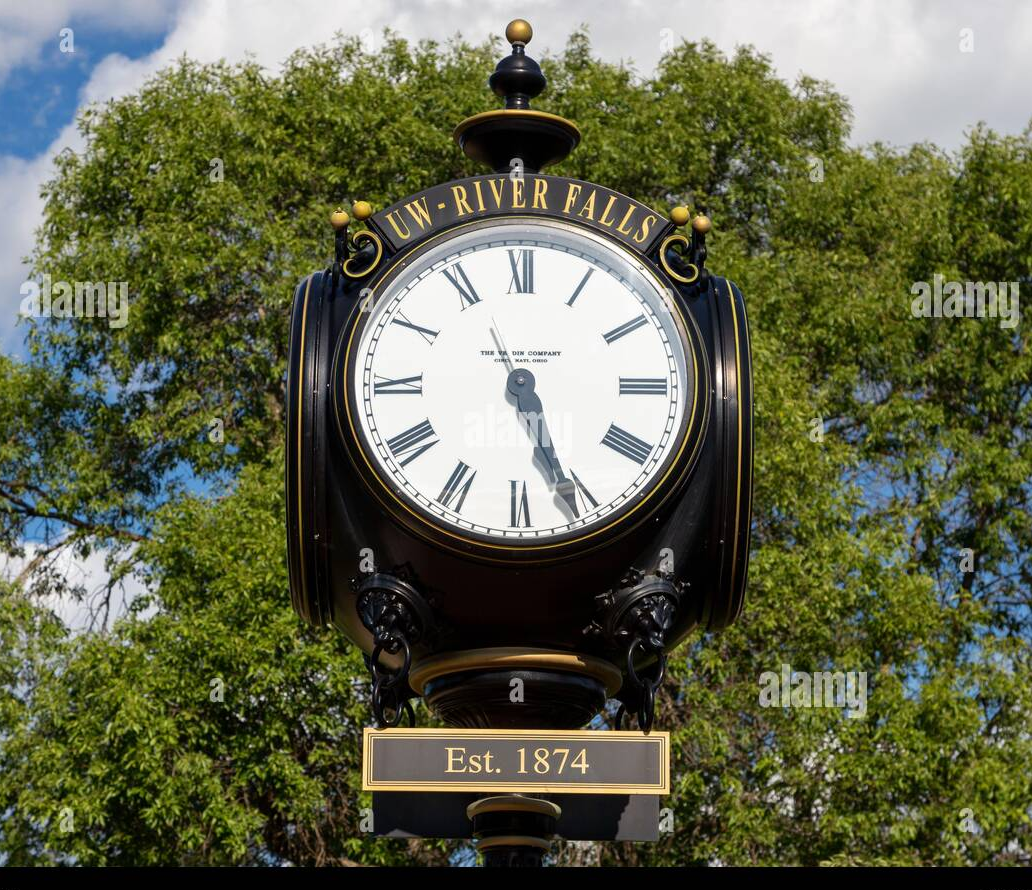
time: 5:26
